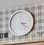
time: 3:21
